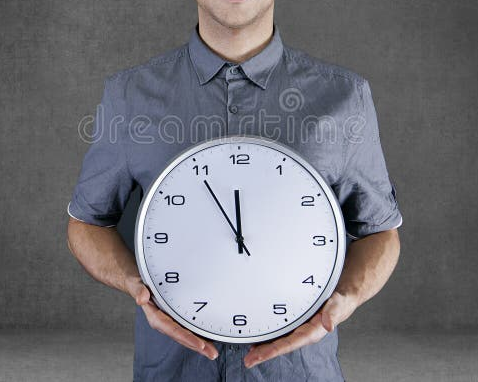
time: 11:54
